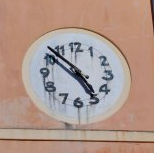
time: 4:51
